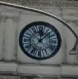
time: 12:07
